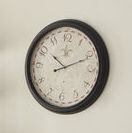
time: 10:11
